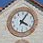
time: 4:04
